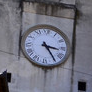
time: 3:24
